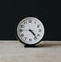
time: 4:23
